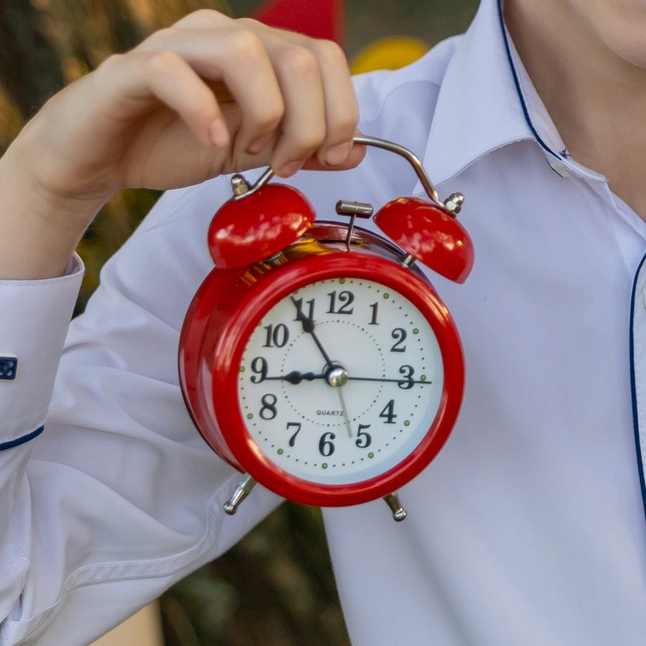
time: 8:54
